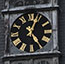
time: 5:03
